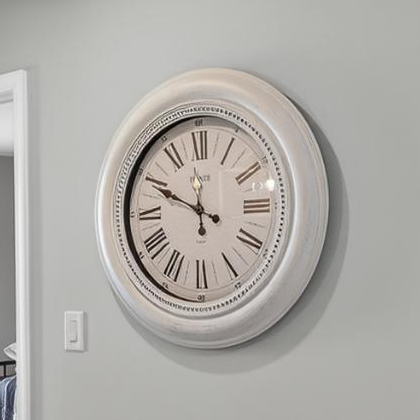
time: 11:49
